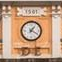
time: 1:19
